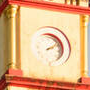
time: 2:08
